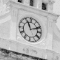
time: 11:11
